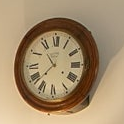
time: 10:37
